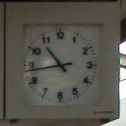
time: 10:43
